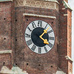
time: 4:07
